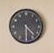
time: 4:29
